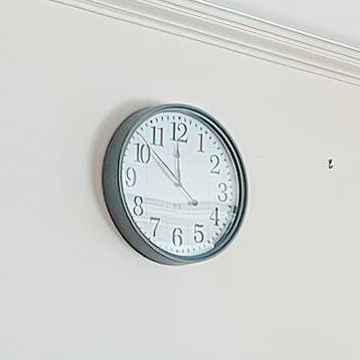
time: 11:51
